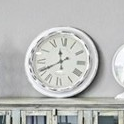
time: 11:40
